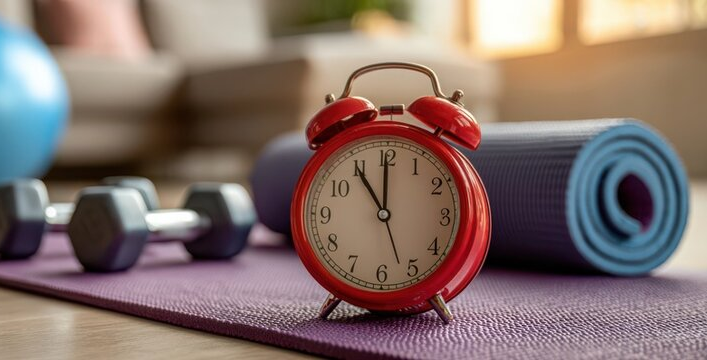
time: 11:00
